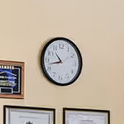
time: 10:42
